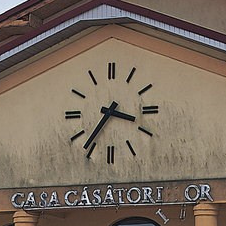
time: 3:36
